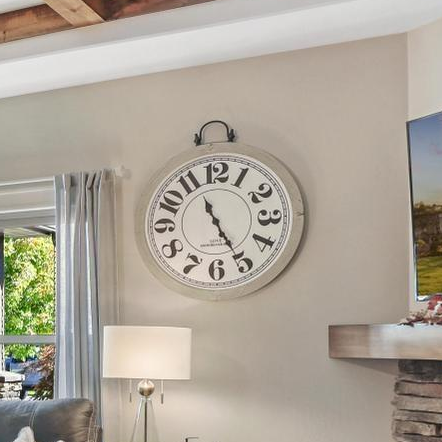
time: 11:25
